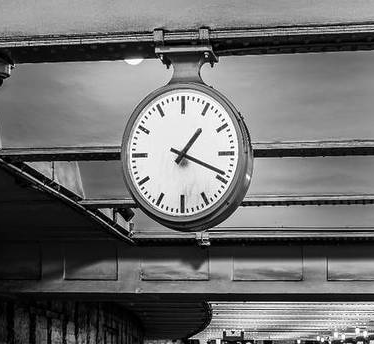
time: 1:18
